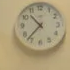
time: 10:37
